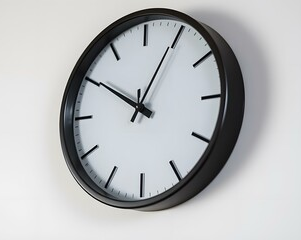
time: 10:04
